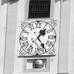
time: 1:24
